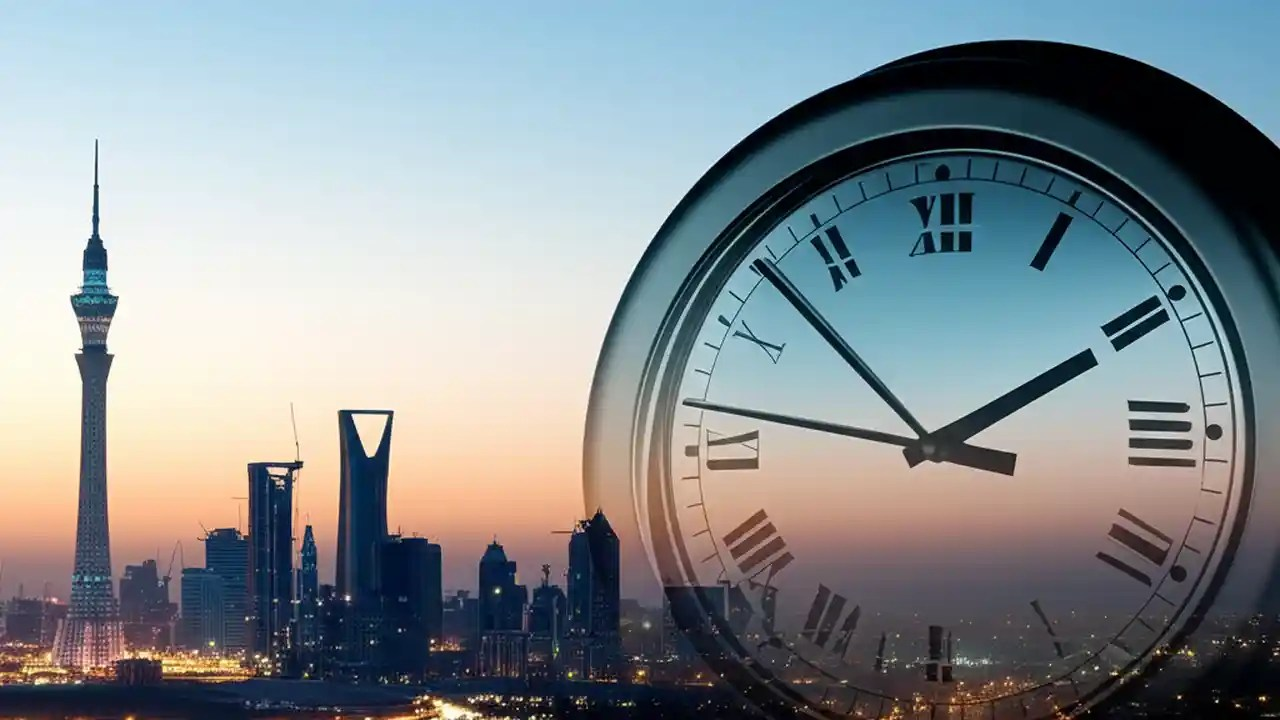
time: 1:52
